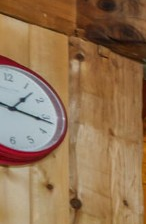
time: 1:16
